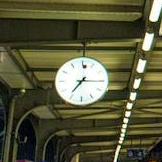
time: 7:15
